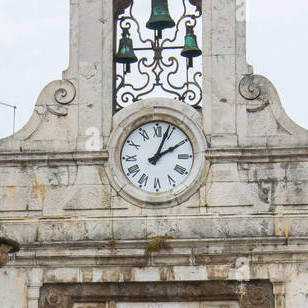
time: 2:03
